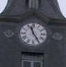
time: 11:24
